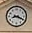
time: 8:19
